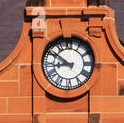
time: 8:50
